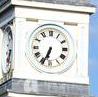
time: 6:34
